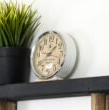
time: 1:39
